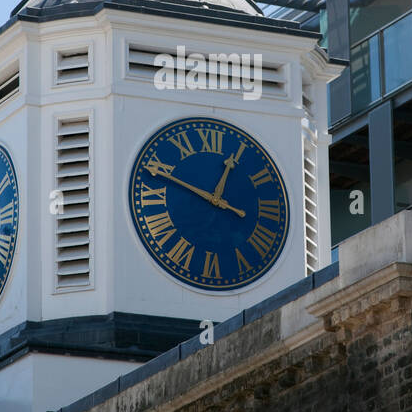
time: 12:48
